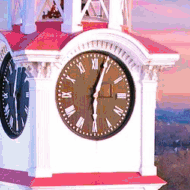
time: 6:03
